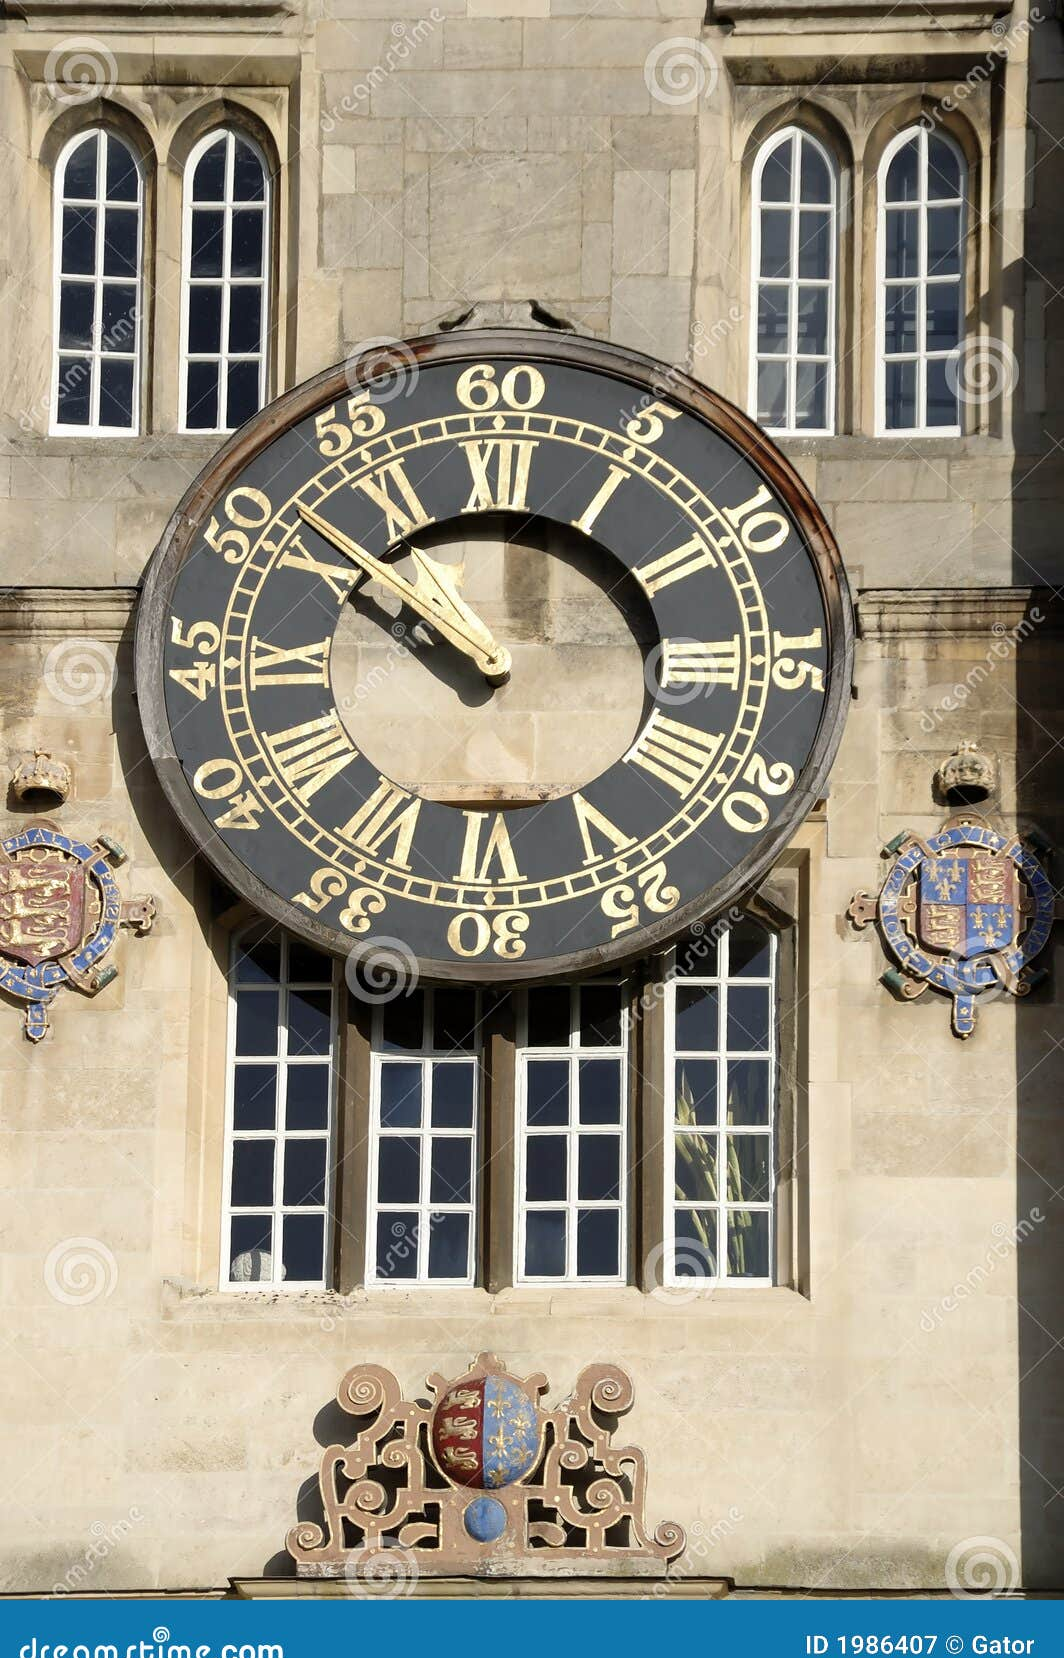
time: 9:50
